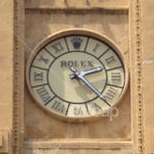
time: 2:22
